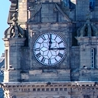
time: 12:14
